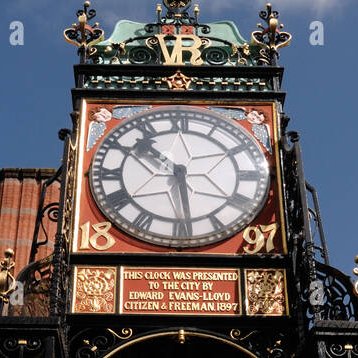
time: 10:28
